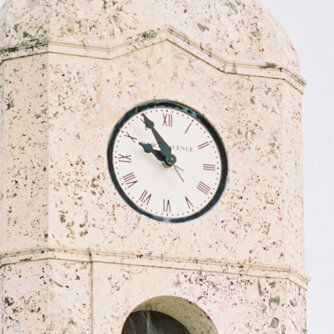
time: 9:54
